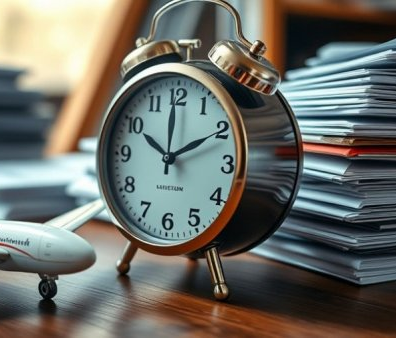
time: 2:00
